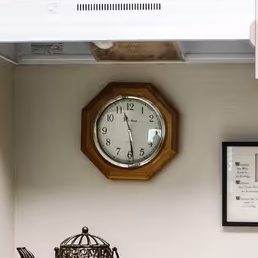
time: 11:28
